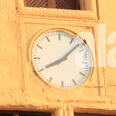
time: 8:07
